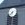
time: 7:37
